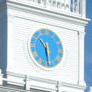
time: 10:28
